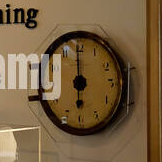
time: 5:59
